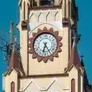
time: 6:24
